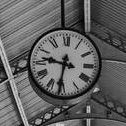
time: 9:31
